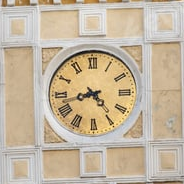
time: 4:42
